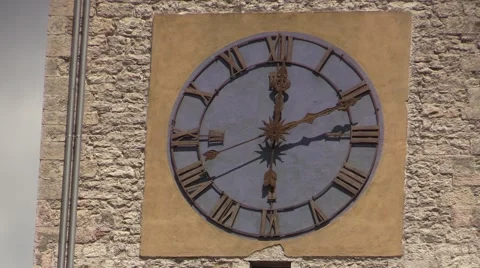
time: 12:12
